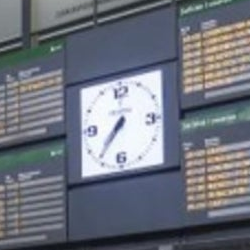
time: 7:36
